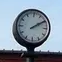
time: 2:09
